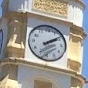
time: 2:09
